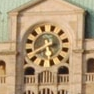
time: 5:40
